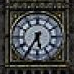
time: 5:35
